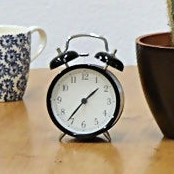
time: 1:36
